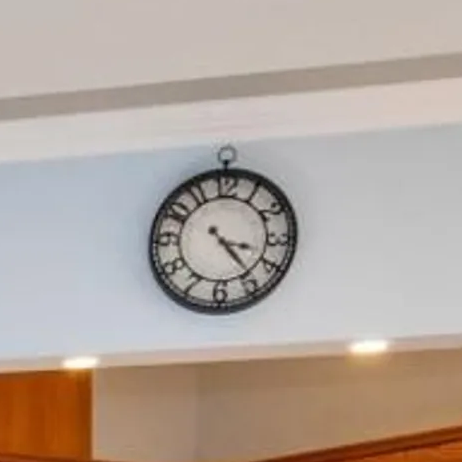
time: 3:23
